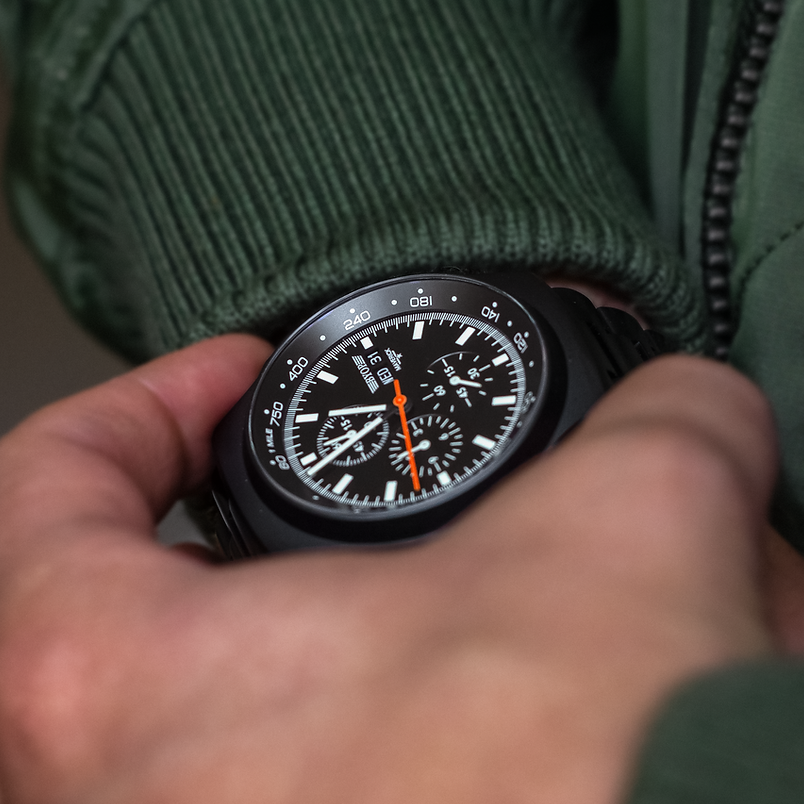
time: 8:38
